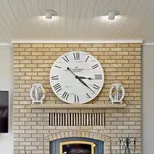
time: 3:22
